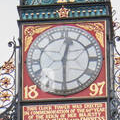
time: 12:29
